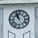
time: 10:56
